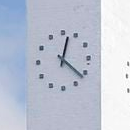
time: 12:21
